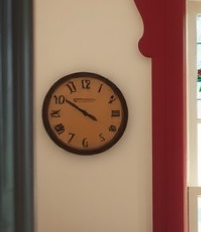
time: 3:50
